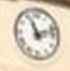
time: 11:11
